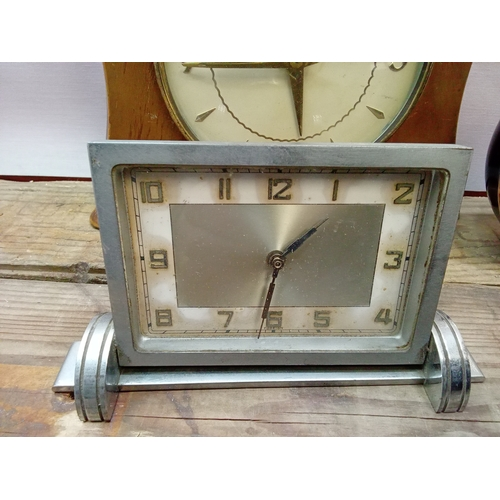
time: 1:31
